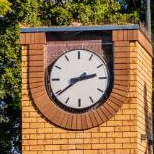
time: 2:39
